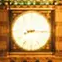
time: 8:15
